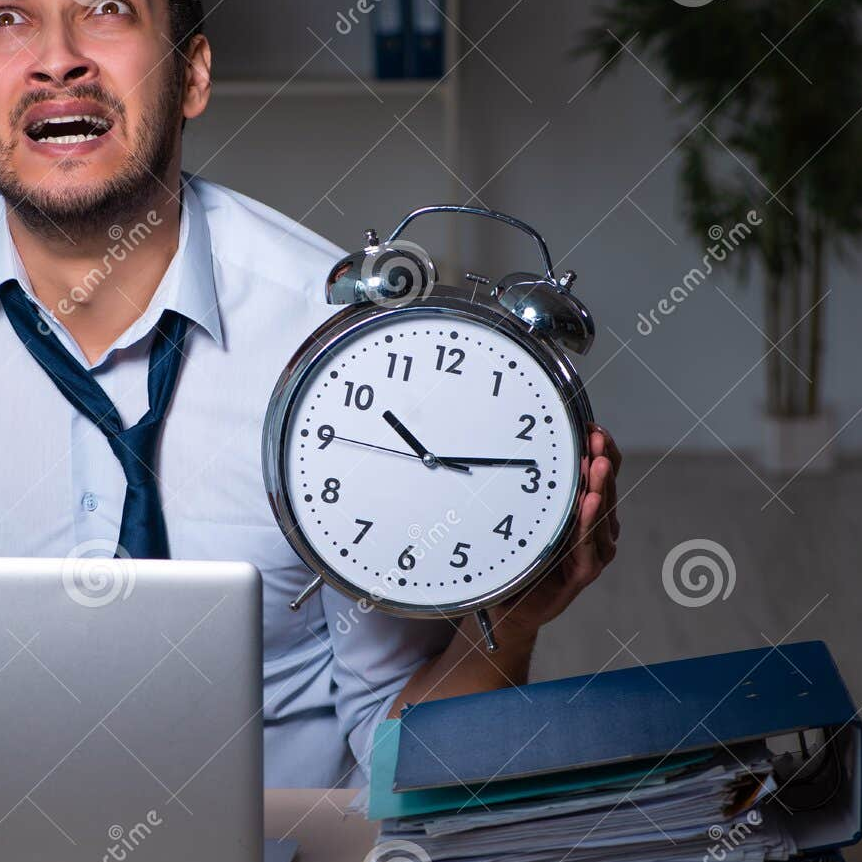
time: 10:13
